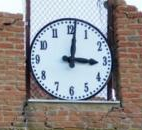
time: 3:01
